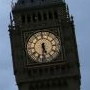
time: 5:31
